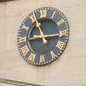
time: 11:14
